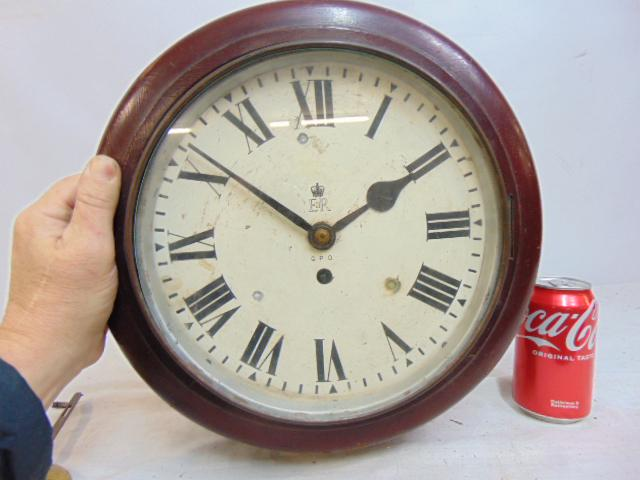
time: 1:51
